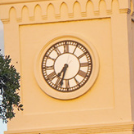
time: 7:33
